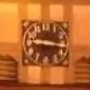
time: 9:17
